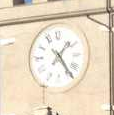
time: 1:24
